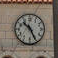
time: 10:25
